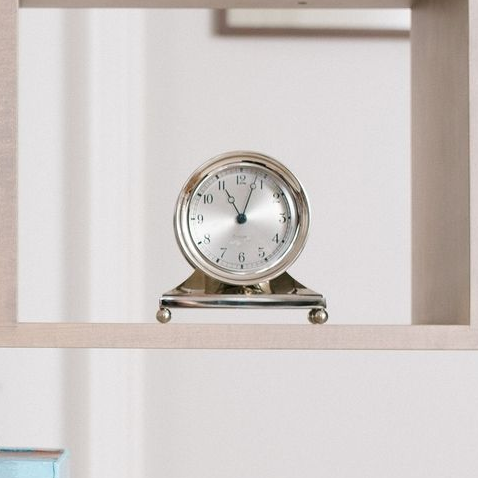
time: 11:03
